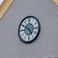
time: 4:50
